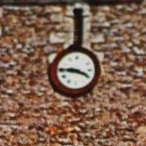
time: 3:45
